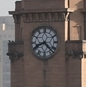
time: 8:22
